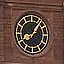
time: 8:06
